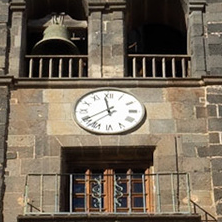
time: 11:40
